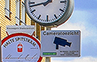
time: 1:43
